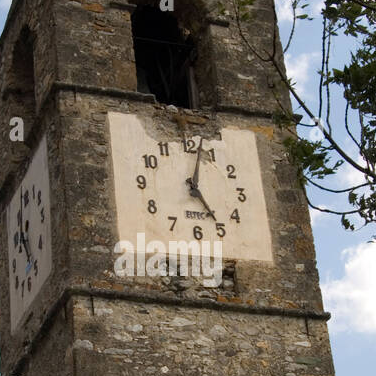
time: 5:02
